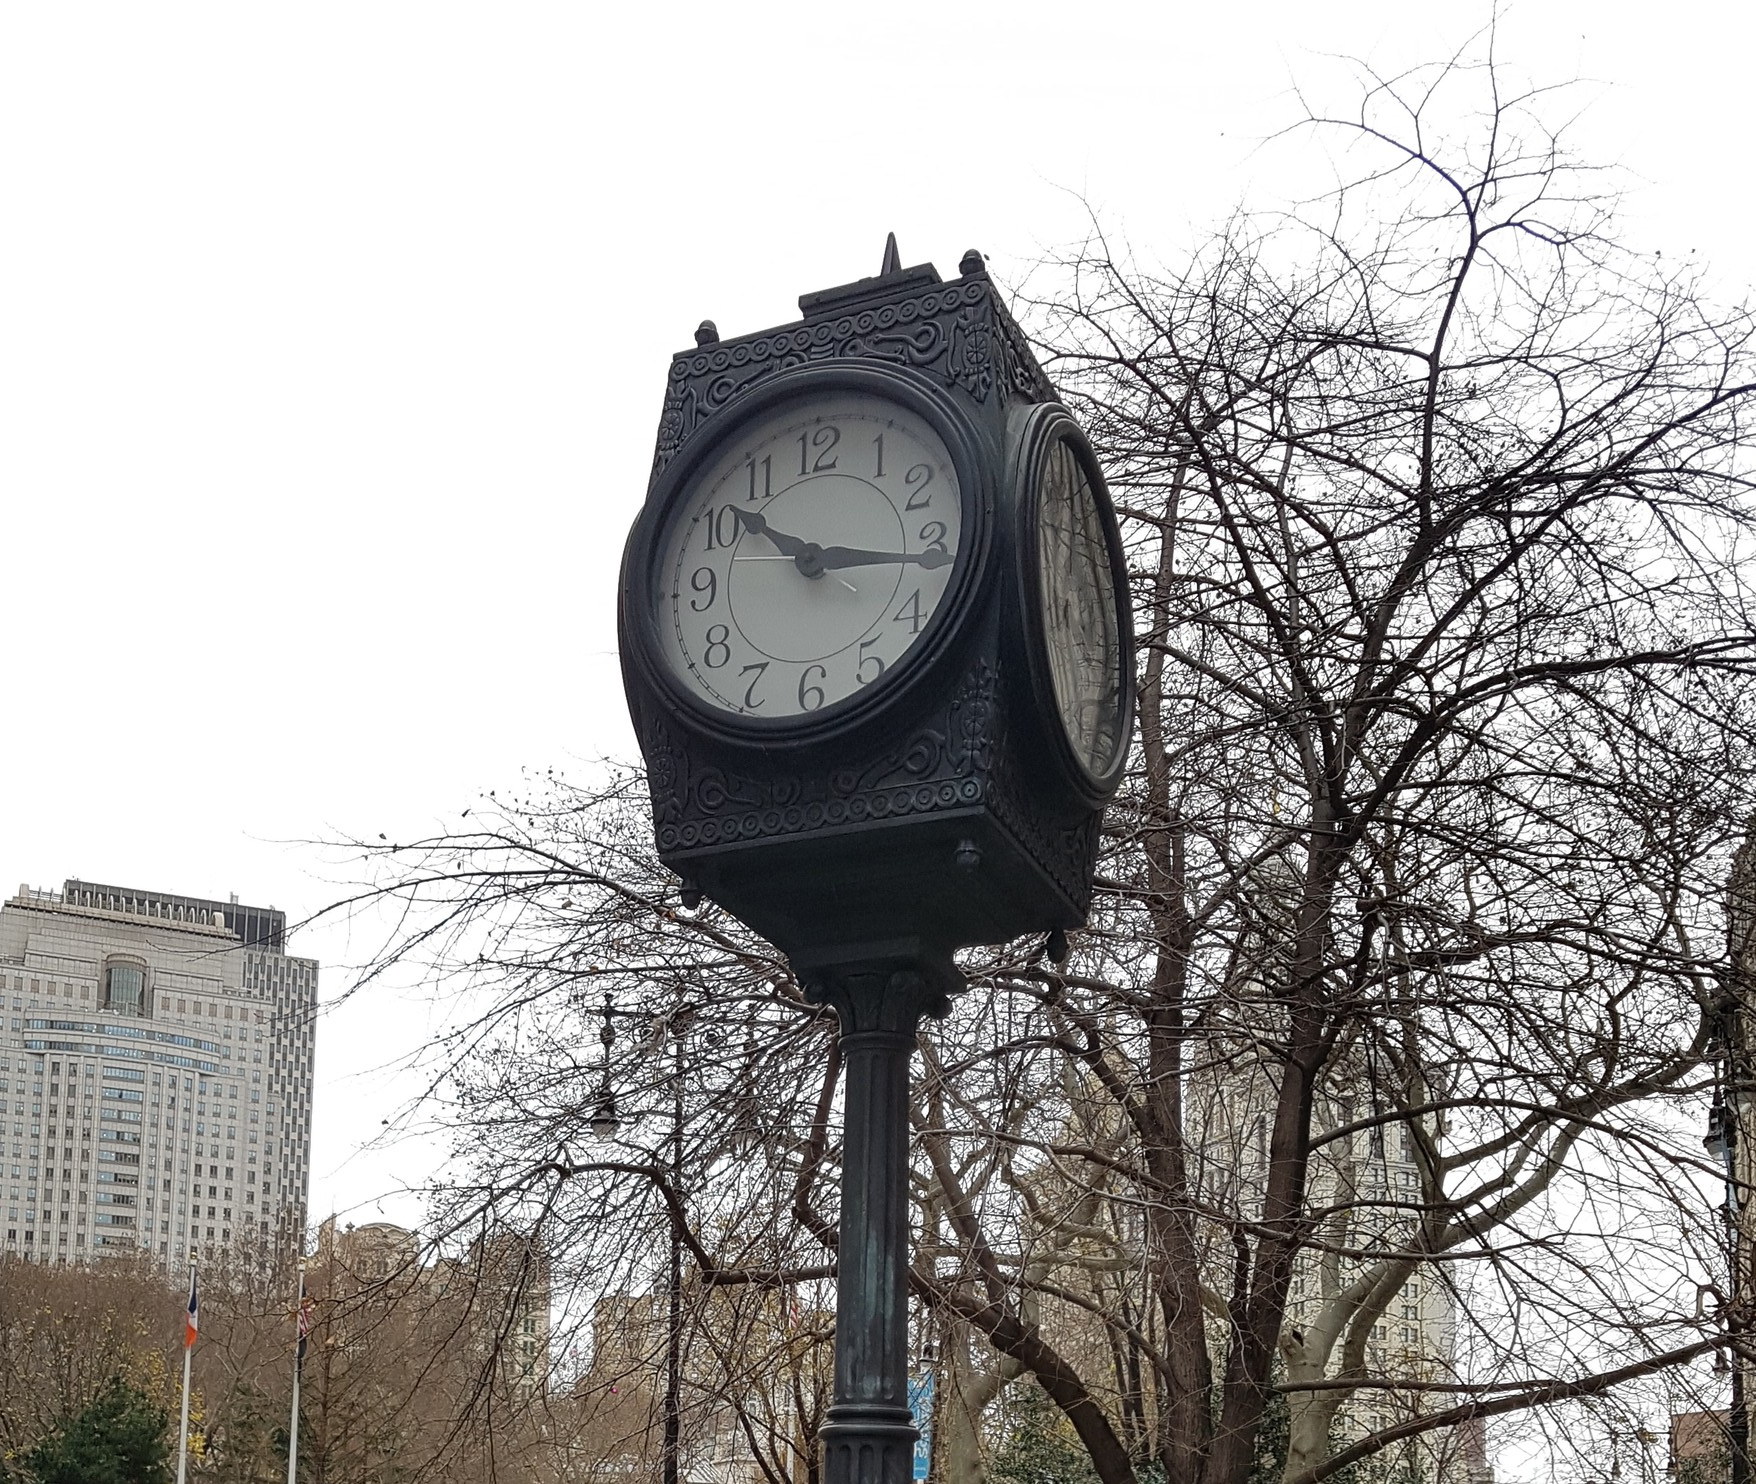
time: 10:17
